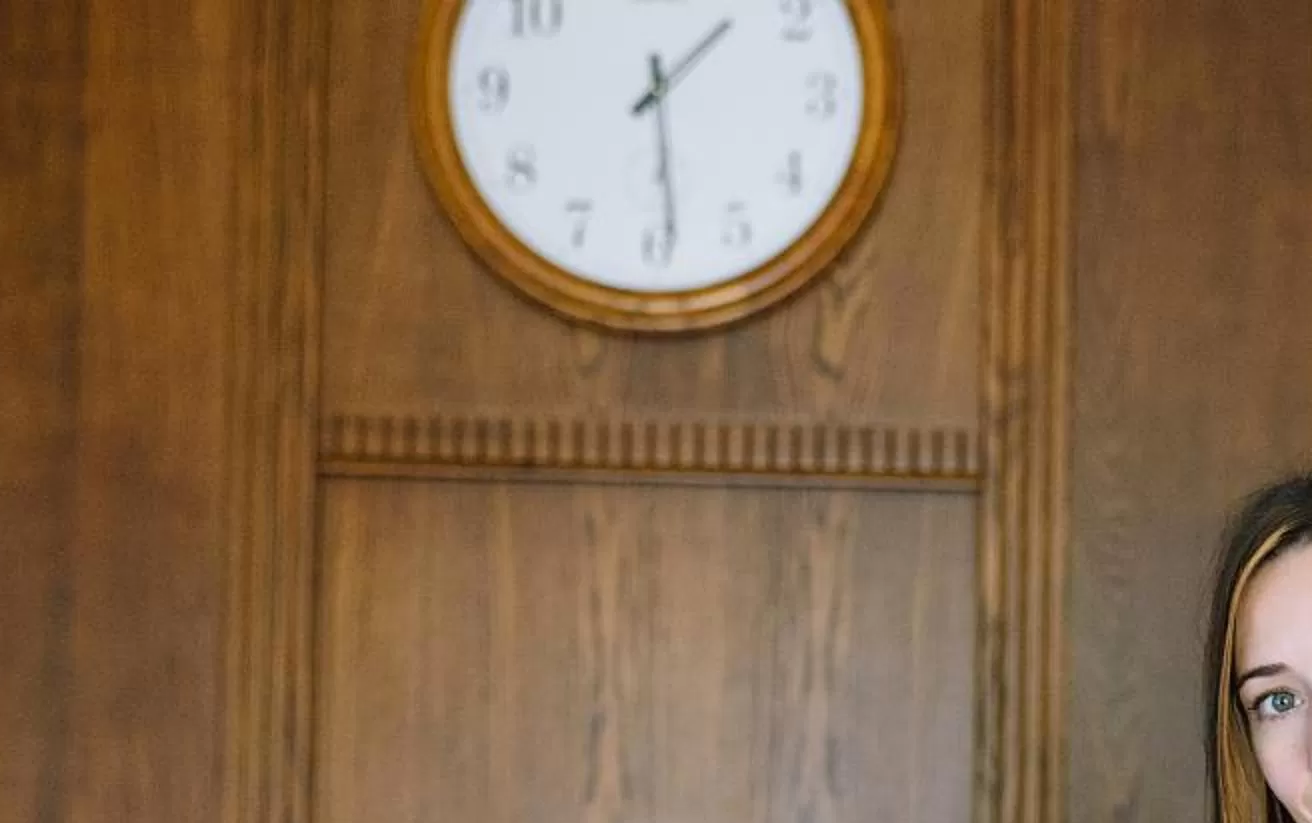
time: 1:29
